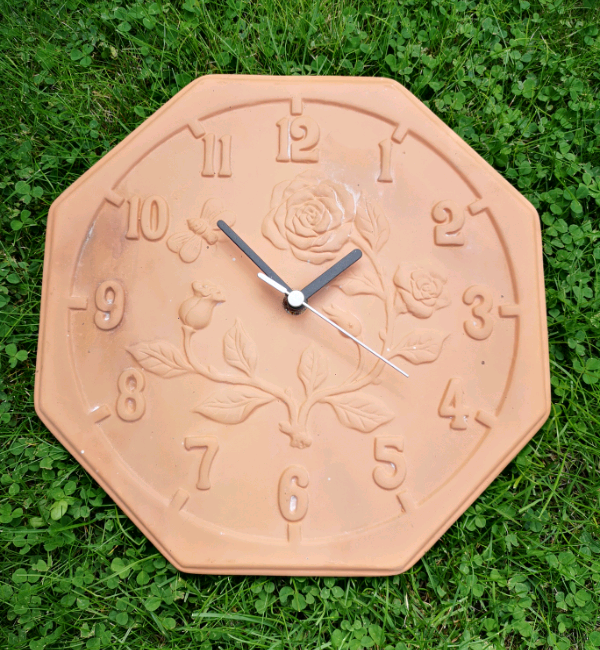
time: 1:52
